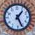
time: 1:26
